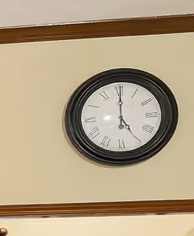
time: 5:00
